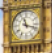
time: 11:17
